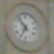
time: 6:53
